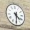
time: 4:30
